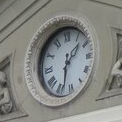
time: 1:32
